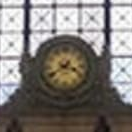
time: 3:39
